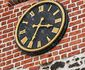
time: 3:34
